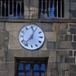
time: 12:37
